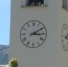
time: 3:09
